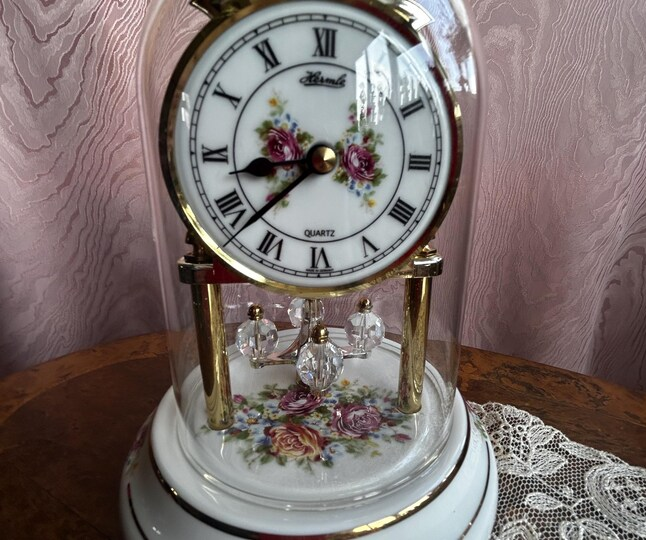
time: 8:37
